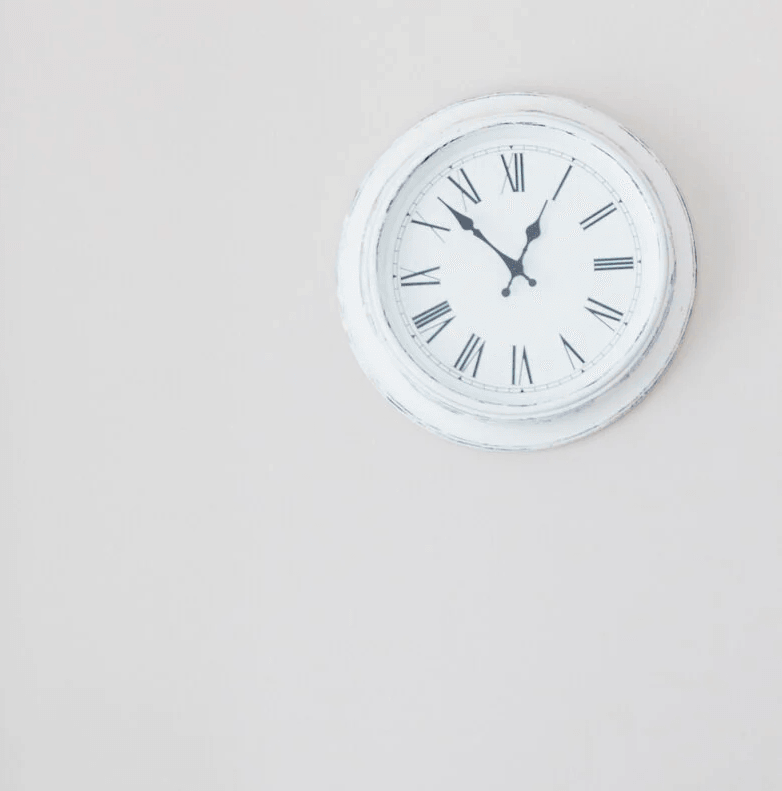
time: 12:52
